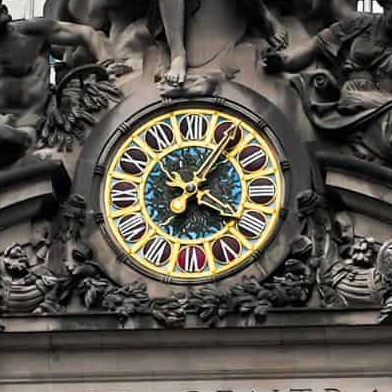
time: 4:05
